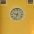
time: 9:33
